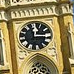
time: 12:15
